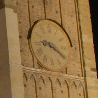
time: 9:20
